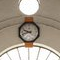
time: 9:42
